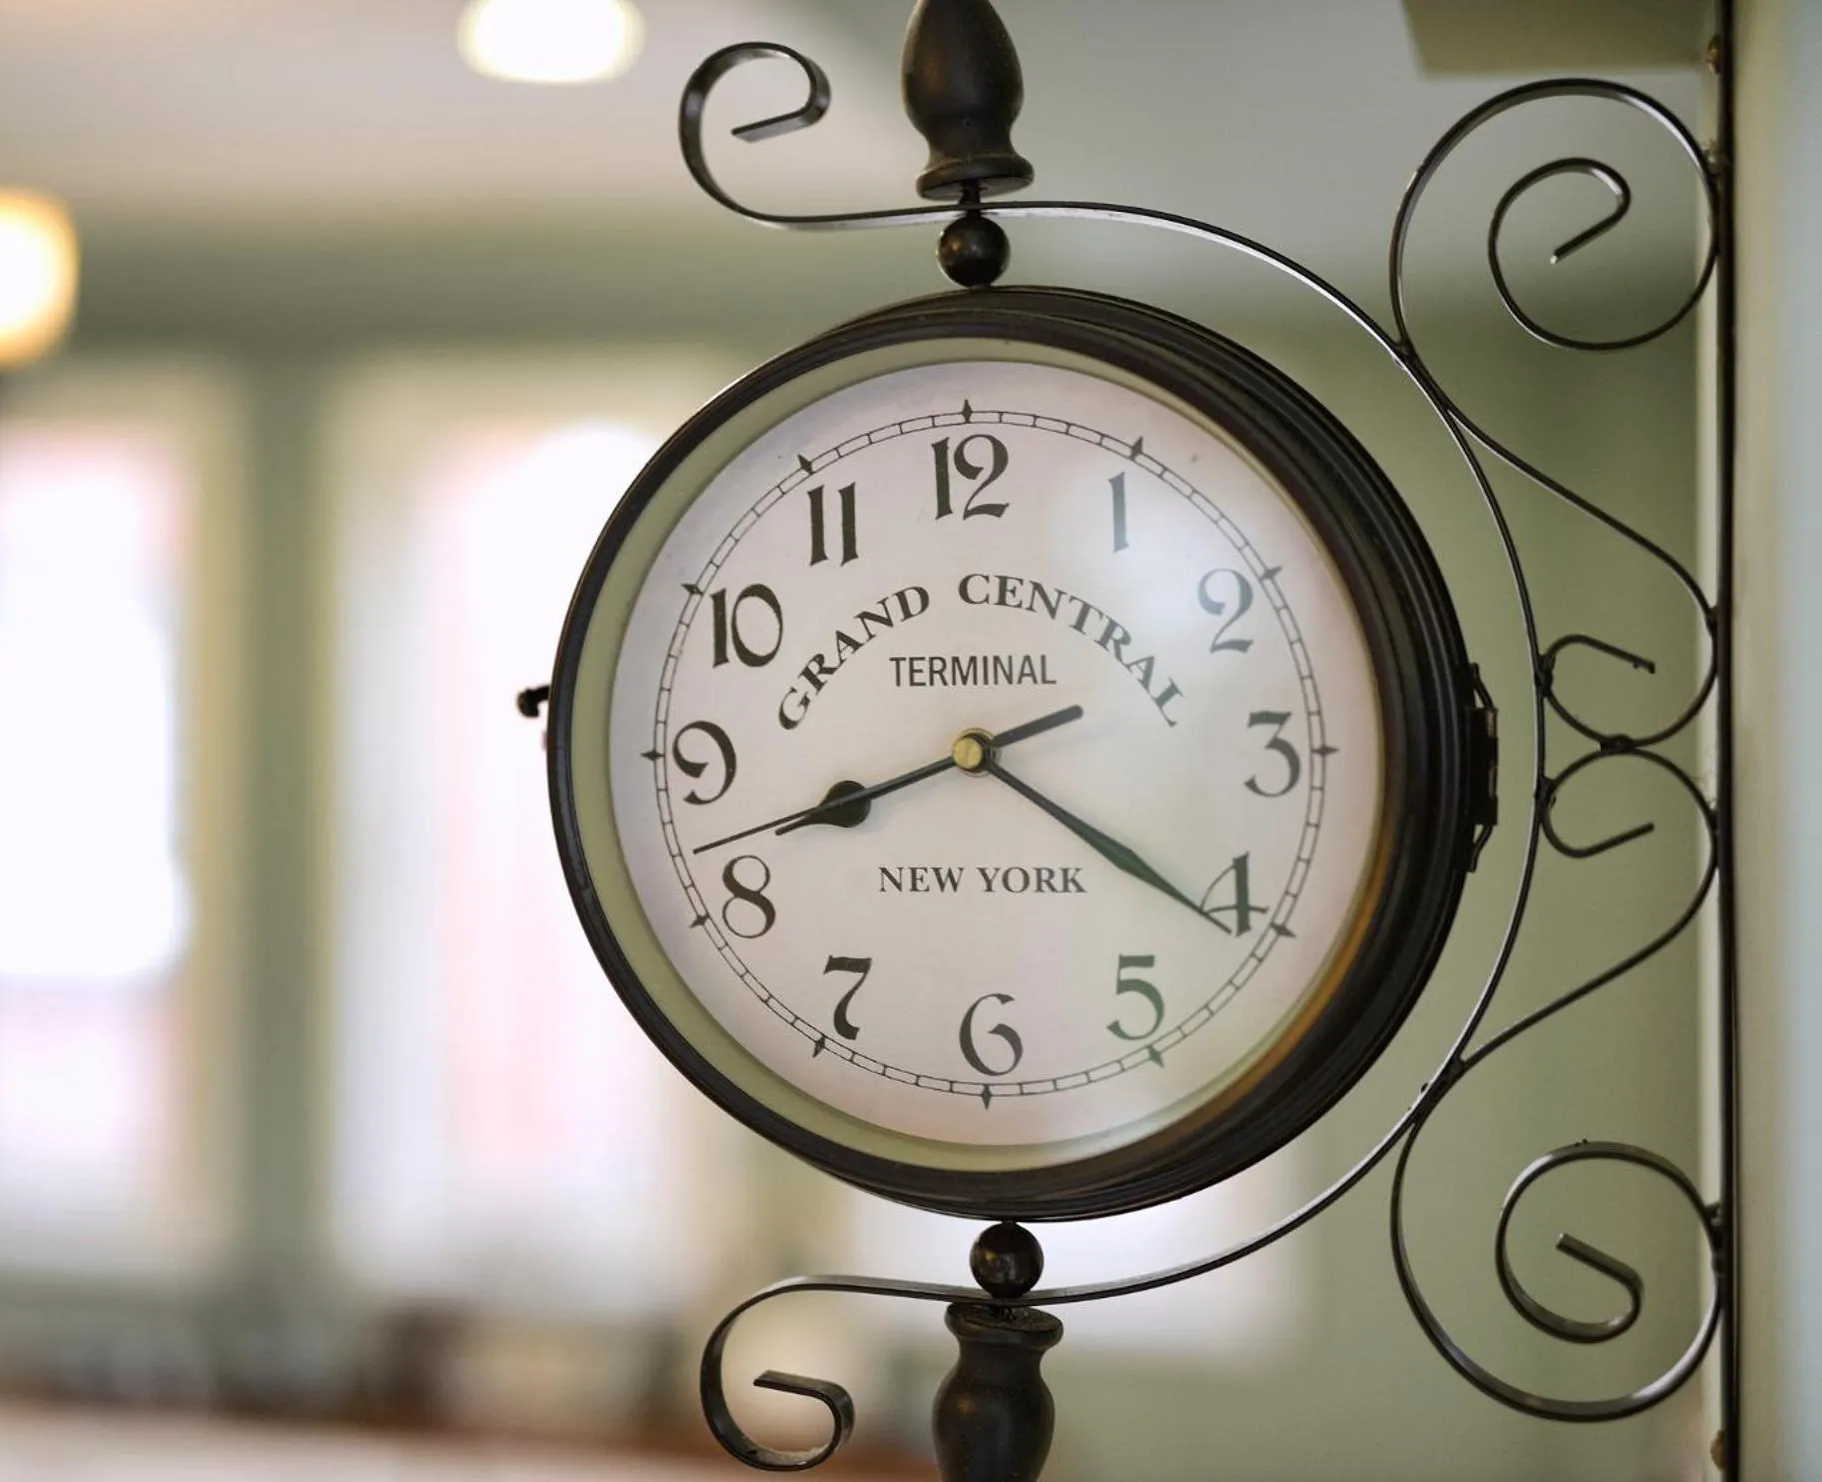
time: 8:21
